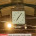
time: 7:06
